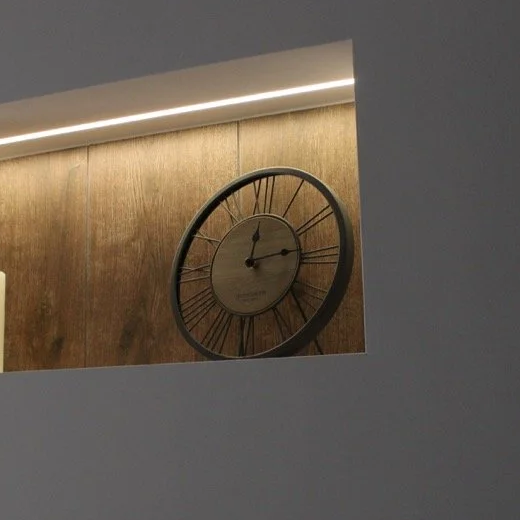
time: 12:13
